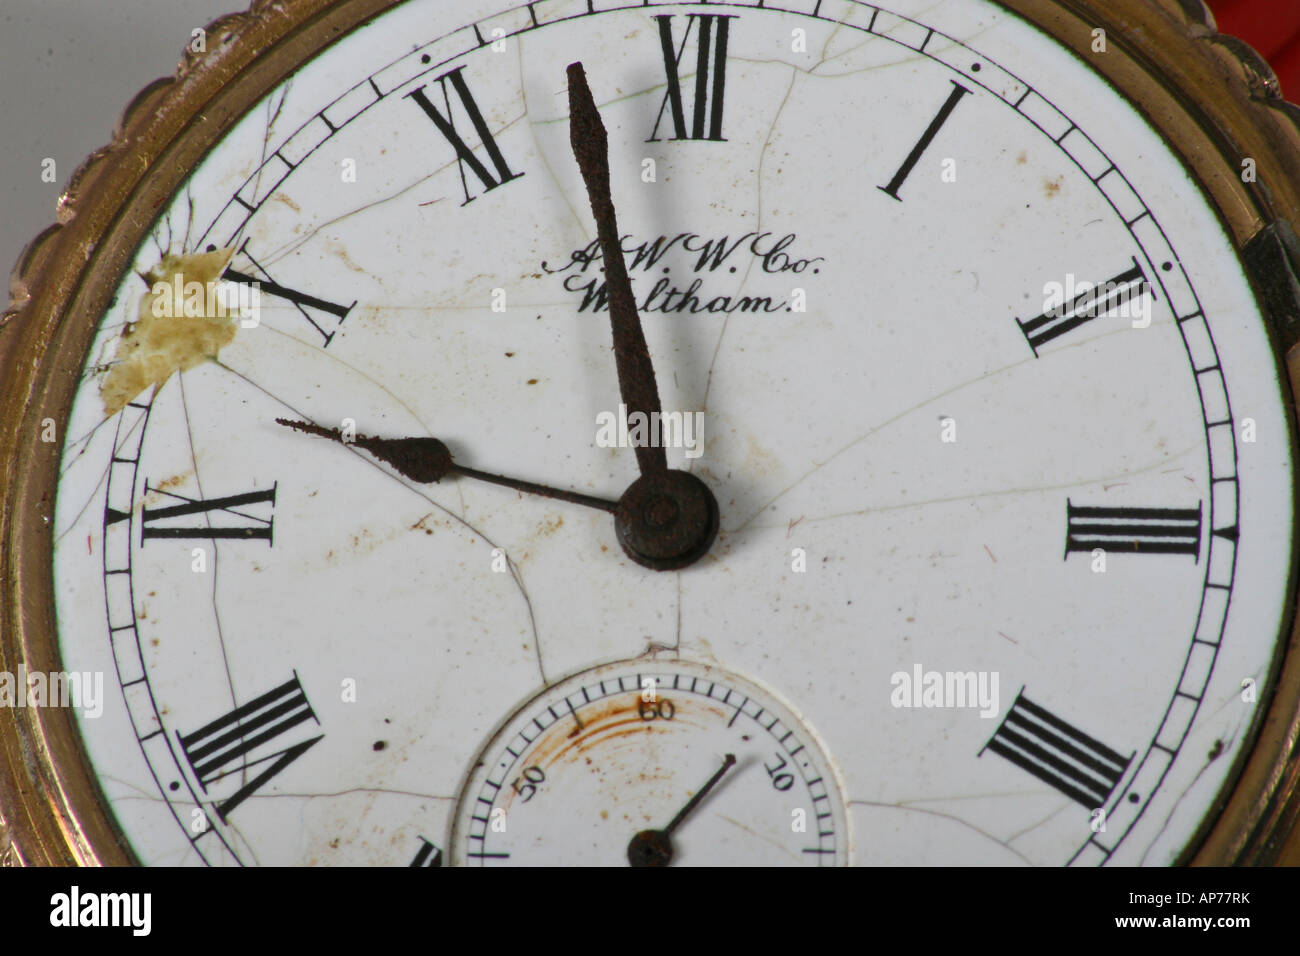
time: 9:57
